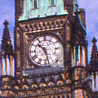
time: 10:28
